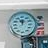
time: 11:55
